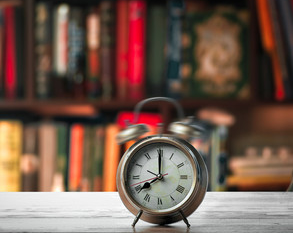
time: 8:00
